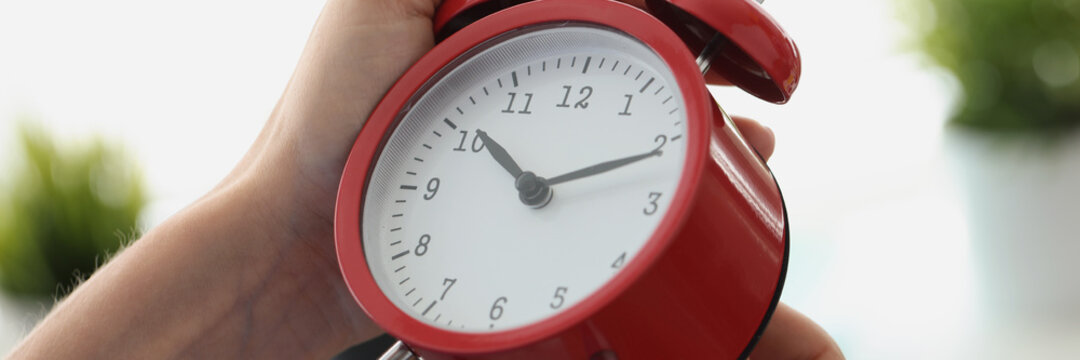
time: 10:11
